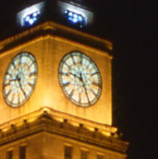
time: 9:25
